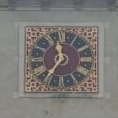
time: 11:36
